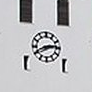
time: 2:41
